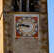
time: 9:45
